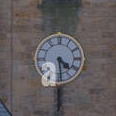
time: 4:29
